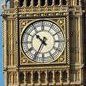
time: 10:34
